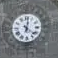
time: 12:21
